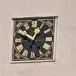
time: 12:49
